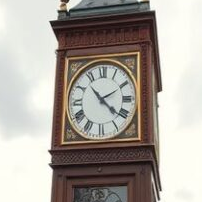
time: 2:21
